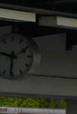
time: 9:31
